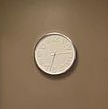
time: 2:32
